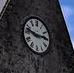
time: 2:47
